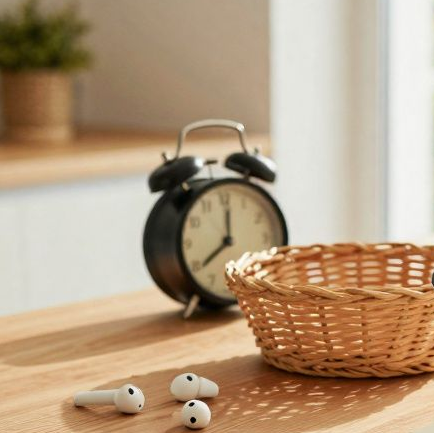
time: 8:01
